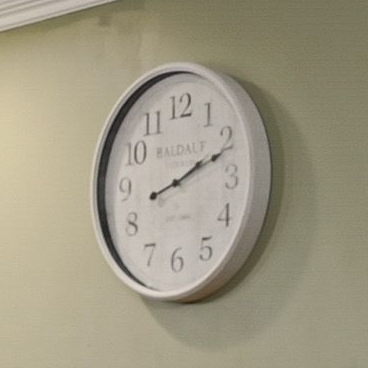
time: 2:11
